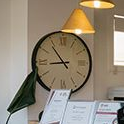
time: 8:53
